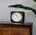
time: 11:21
